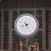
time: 8:25
